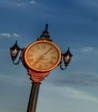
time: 7:06
